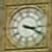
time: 3:19
